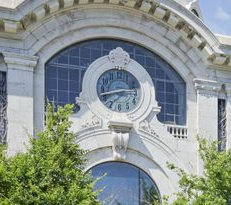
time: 2:41
